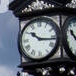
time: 10:16
